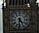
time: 4:31
